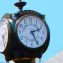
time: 2:25
